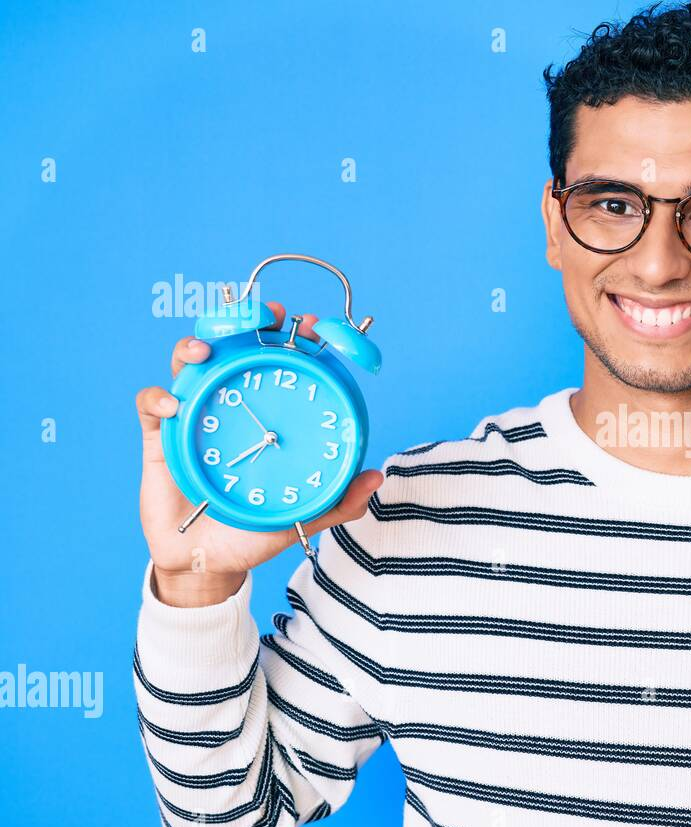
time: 7:37
